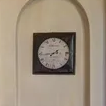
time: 7:43
